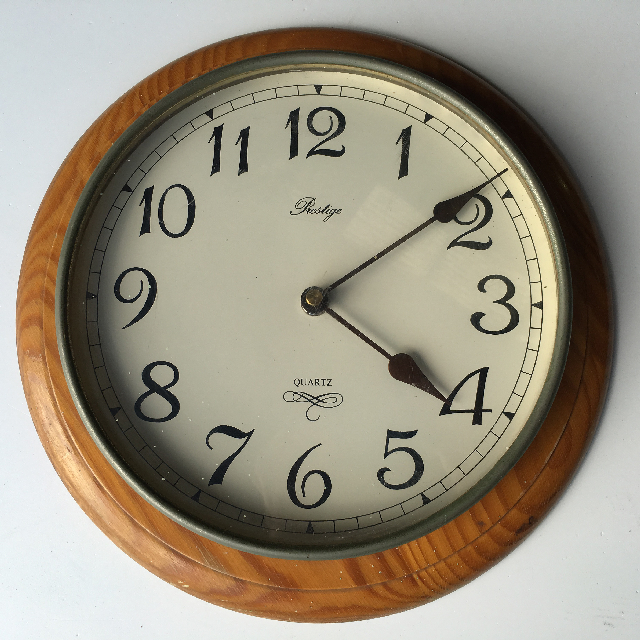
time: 4:09
